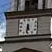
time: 5:31
